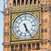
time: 5:25
